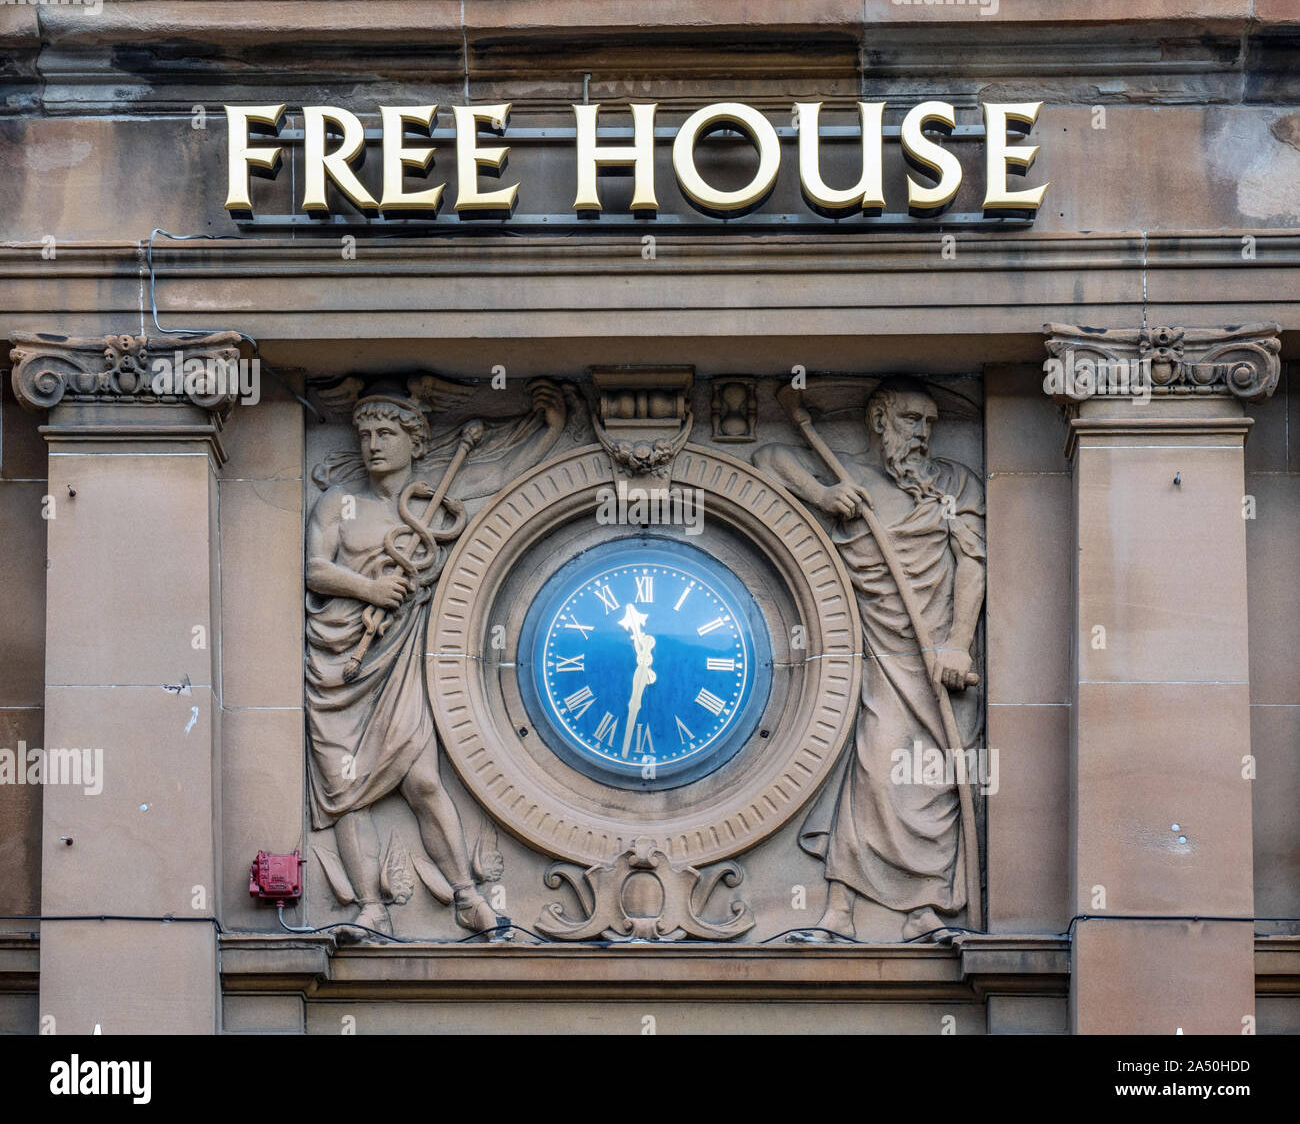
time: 11:32
